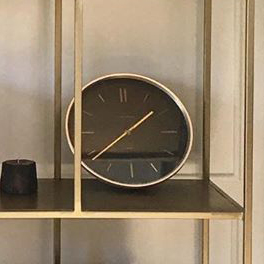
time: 1:38
